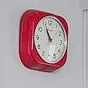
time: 10:55
